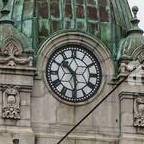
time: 10:28
